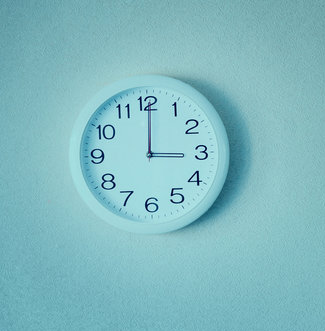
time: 3:00
